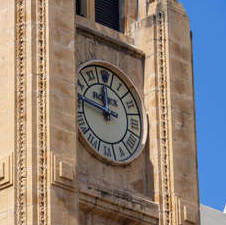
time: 11:46
